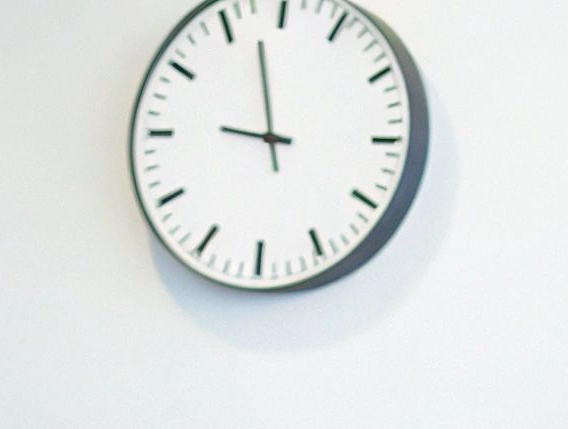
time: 8:57
